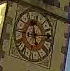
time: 11:13
